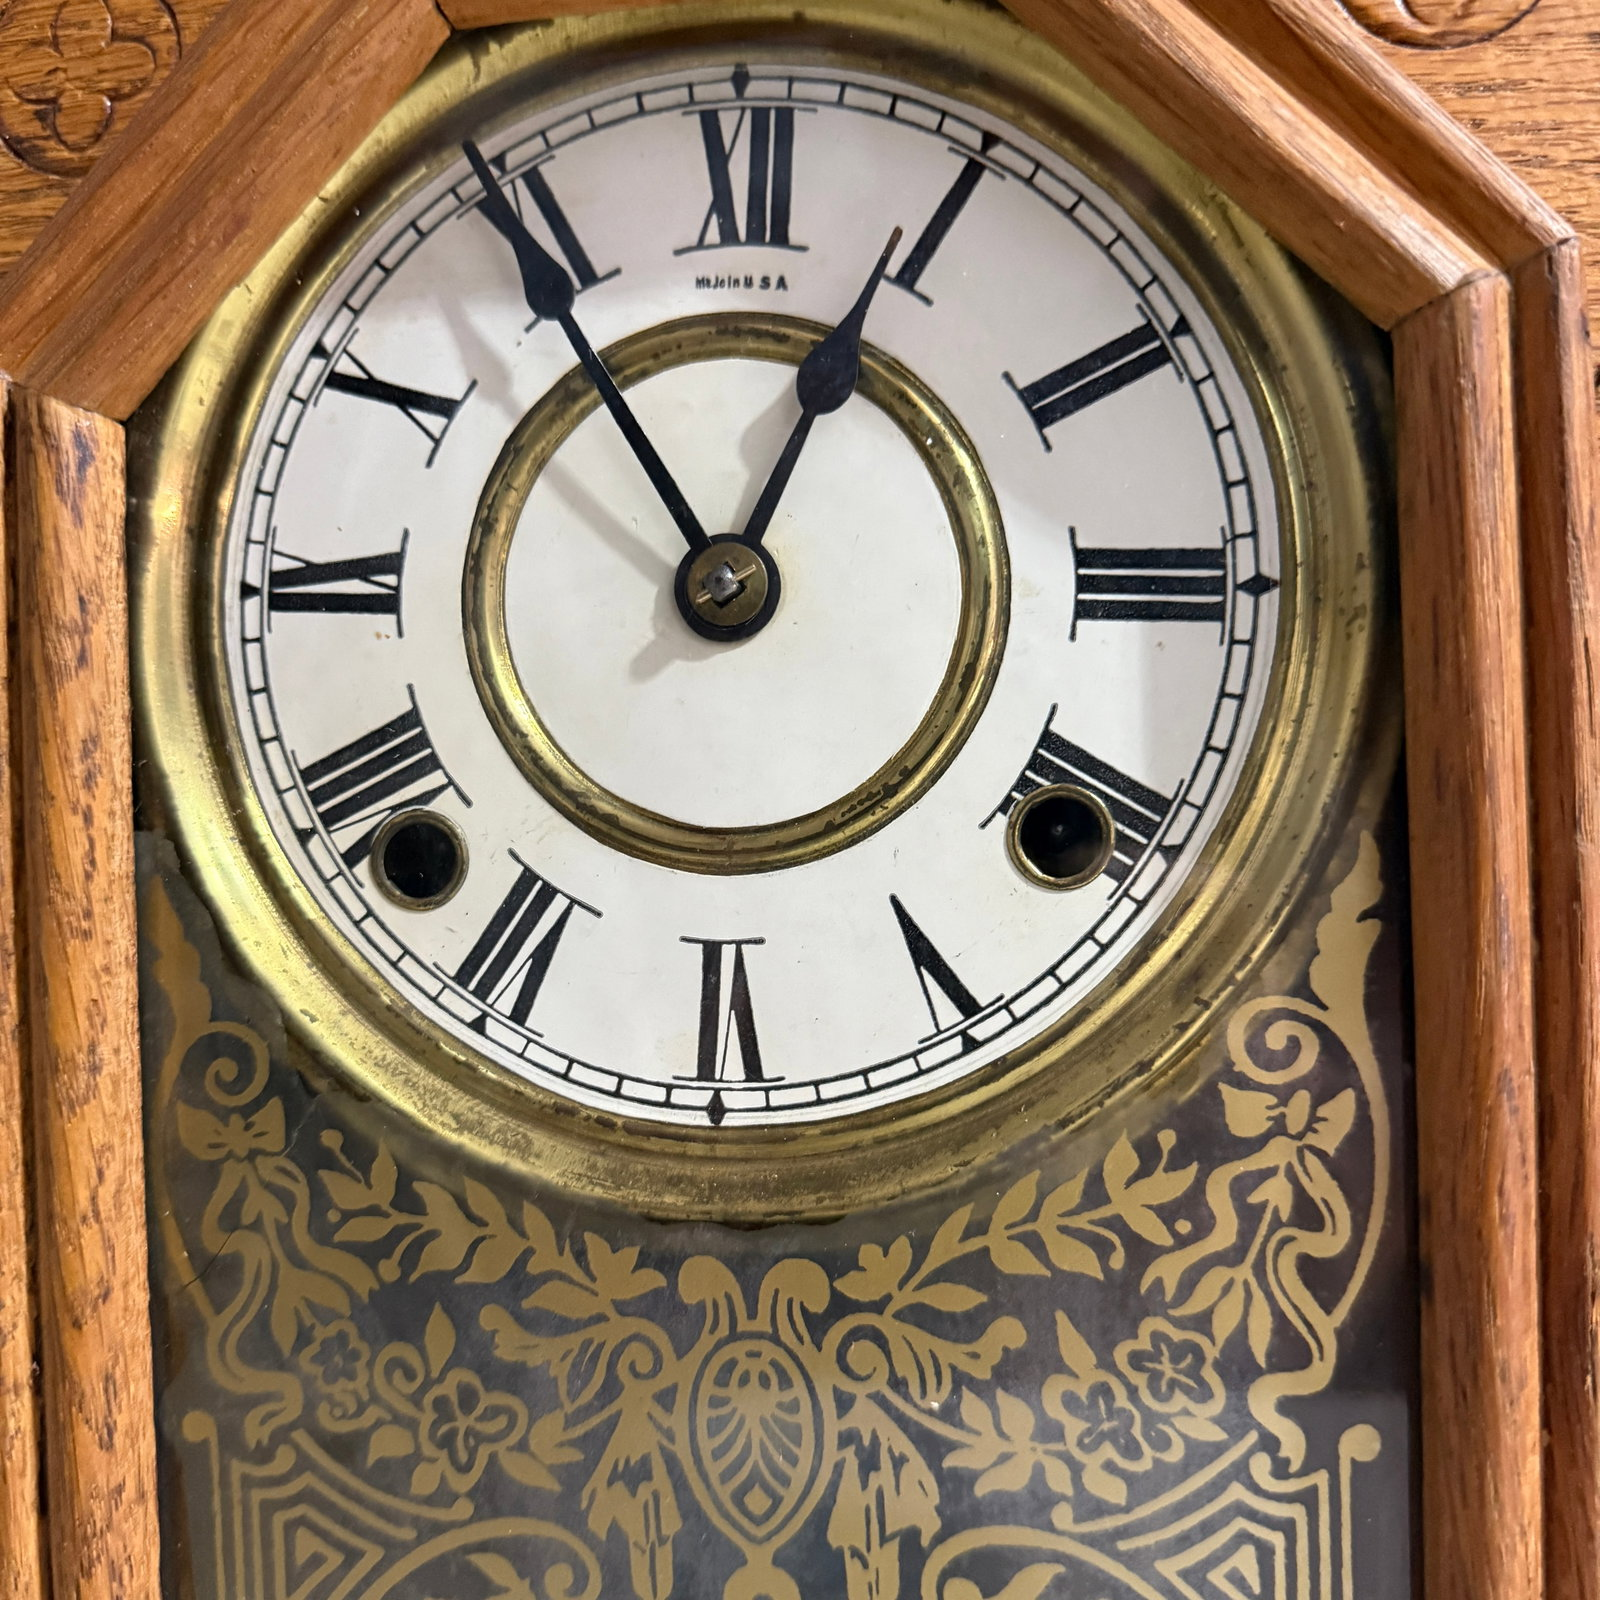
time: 12:54
